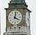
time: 4:02
